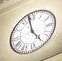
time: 4:58
